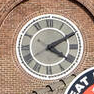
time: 4:10
